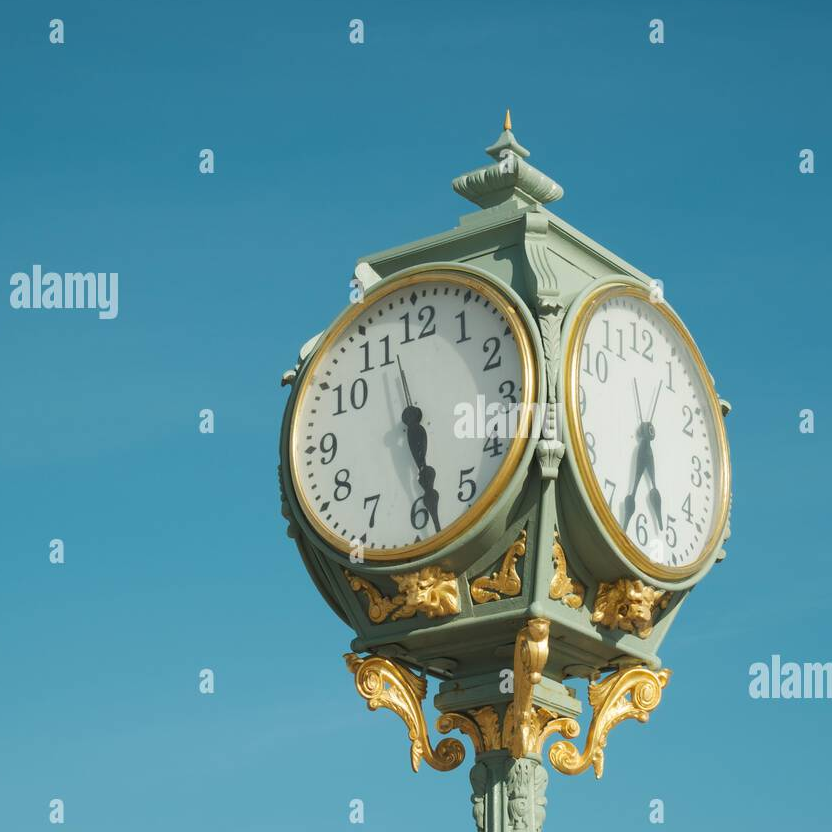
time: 5:28
